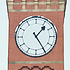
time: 1:24
